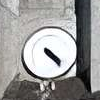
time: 4:23
